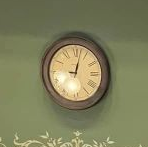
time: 9:02
